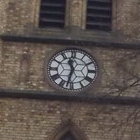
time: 11:32
